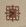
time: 9:36
